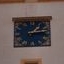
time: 1:13
